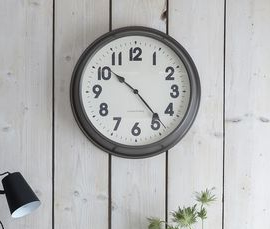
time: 10:23
